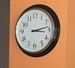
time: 3:13
